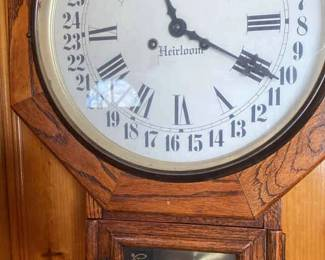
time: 11:19
